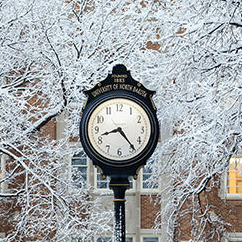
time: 8:23
